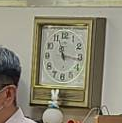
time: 11:16
